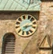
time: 2:38
